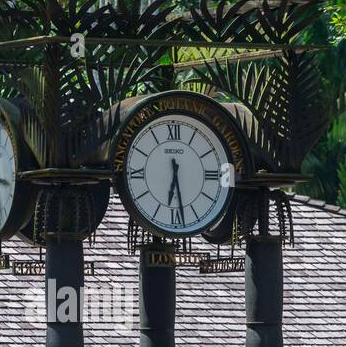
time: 6:28
